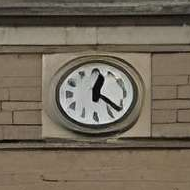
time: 12:21
